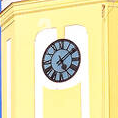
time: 5:08
